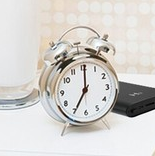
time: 7:00
